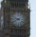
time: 9:40
